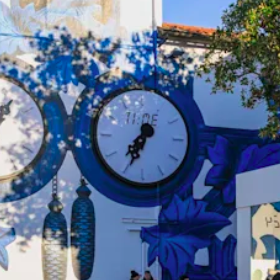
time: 7:34
